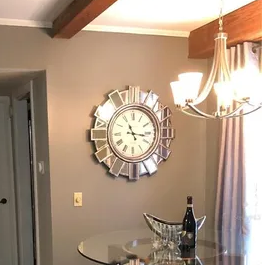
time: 11:15
